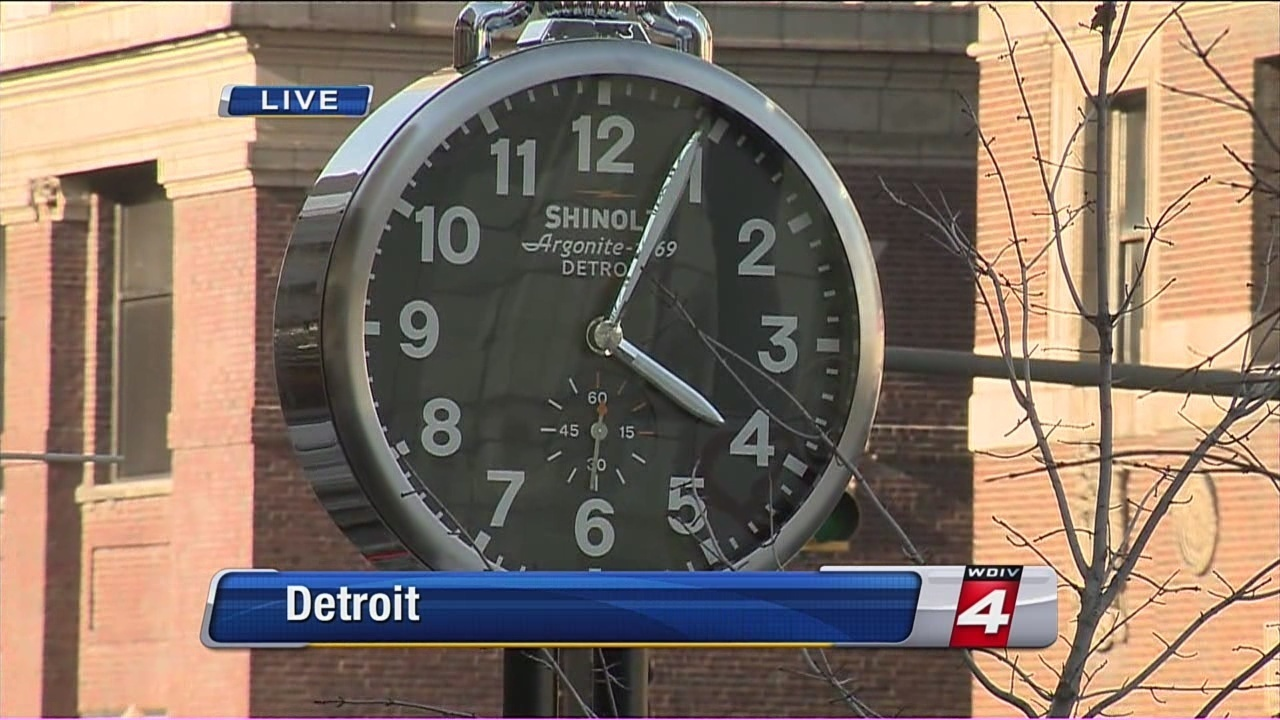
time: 4:04
